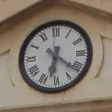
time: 6:21
